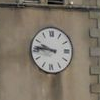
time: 9:45
